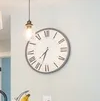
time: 7:33
